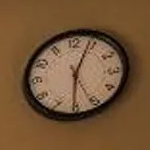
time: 6:03
